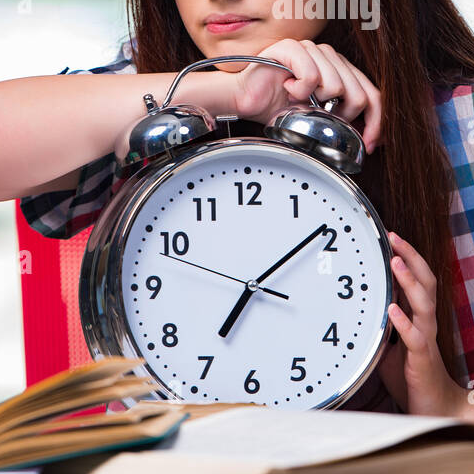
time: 7:08
